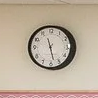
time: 11:27
